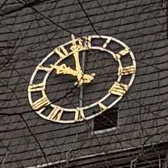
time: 9:57
